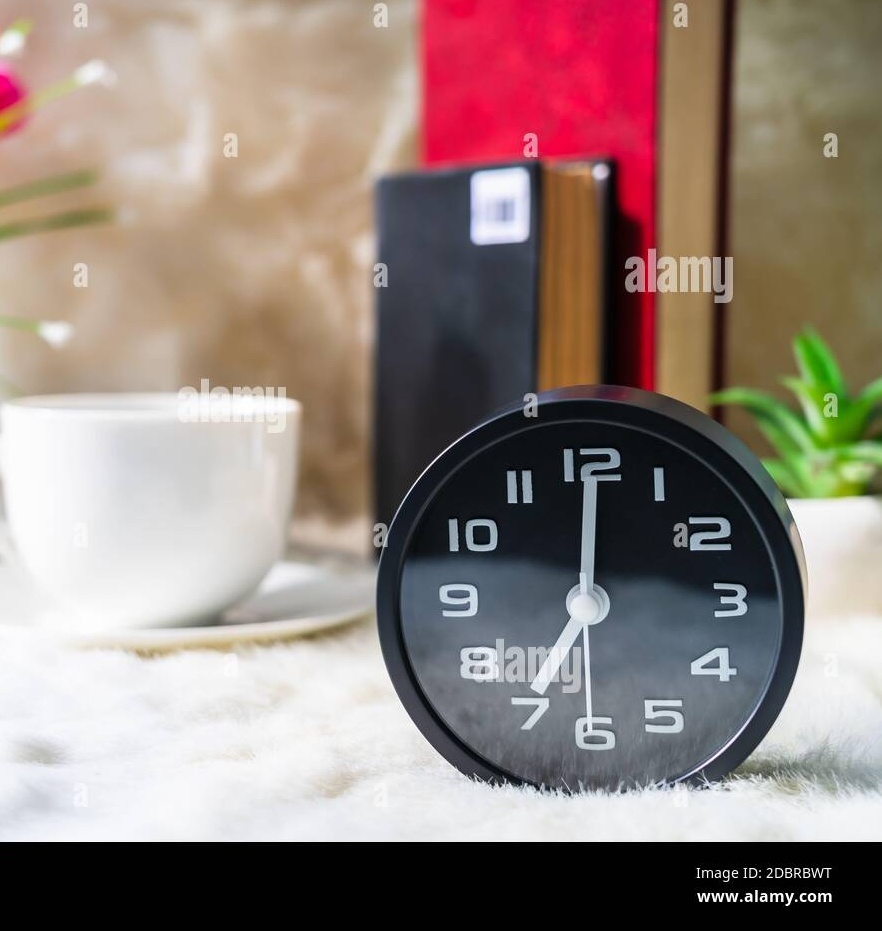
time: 7:00
